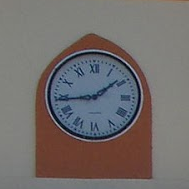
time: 1:44
